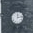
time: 12:13
